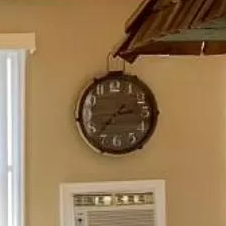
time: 2:37
